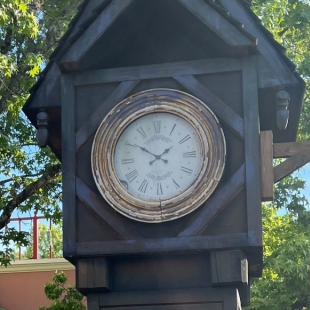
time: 1:50
